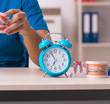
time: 6:54
